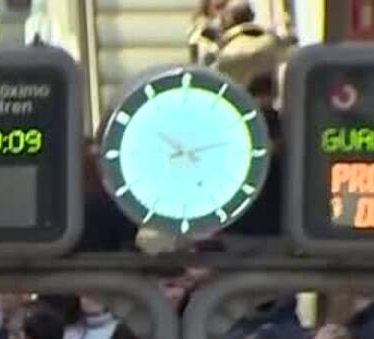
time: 10:13
